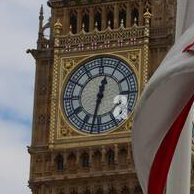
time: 12:32
